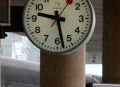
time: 9:28
